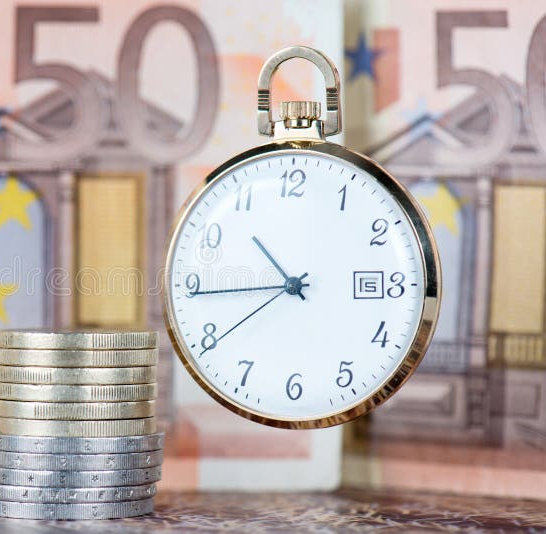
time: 10:44
